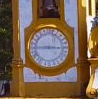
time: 2:44
